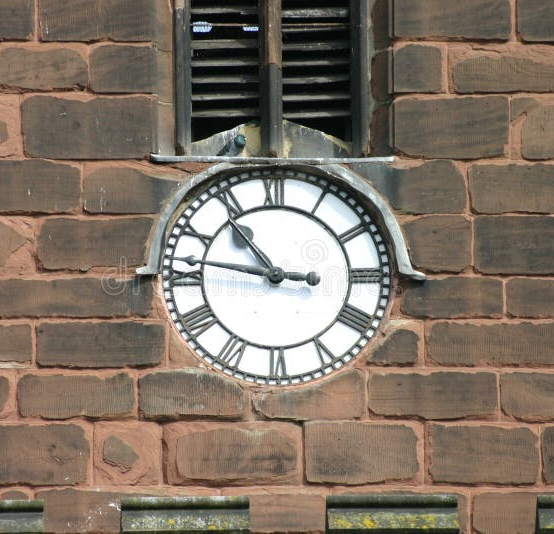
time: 10:46
